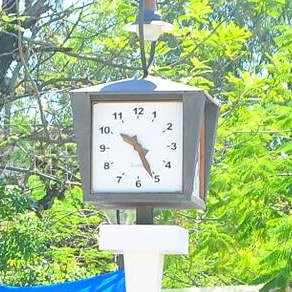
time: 10:25
